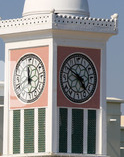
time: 4:50
